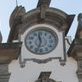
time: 11:33
